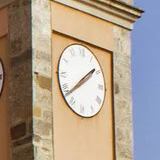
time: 1:38
